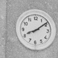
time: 8:09
